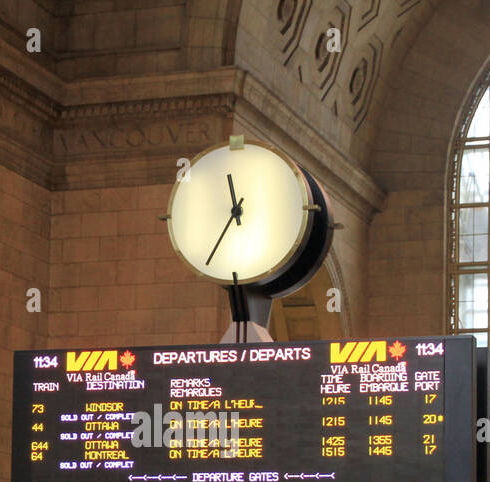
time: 11:34
